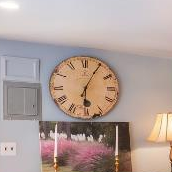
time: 6:04
